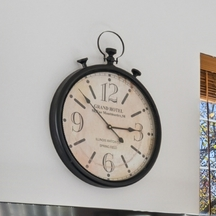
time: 2:52
